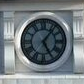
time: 5:06
